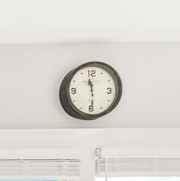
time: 11:29
